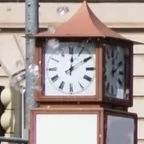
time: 12:09
